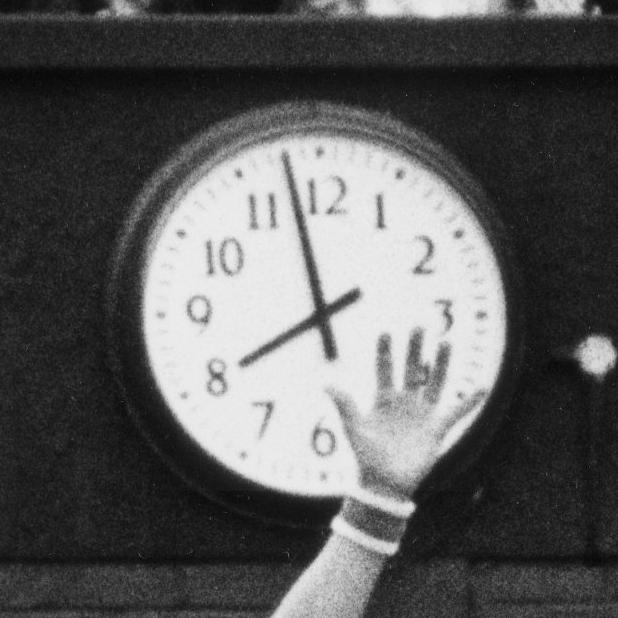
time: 7:57
